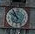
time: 10:51
